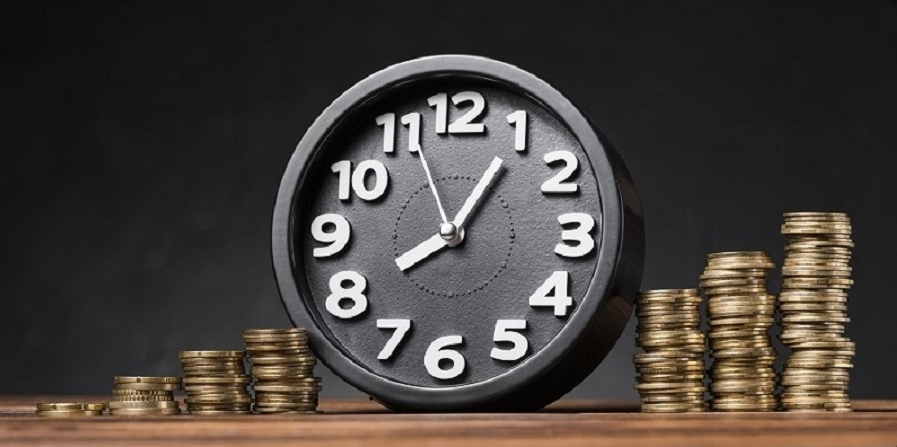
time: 8:05
